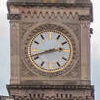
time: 2:42
